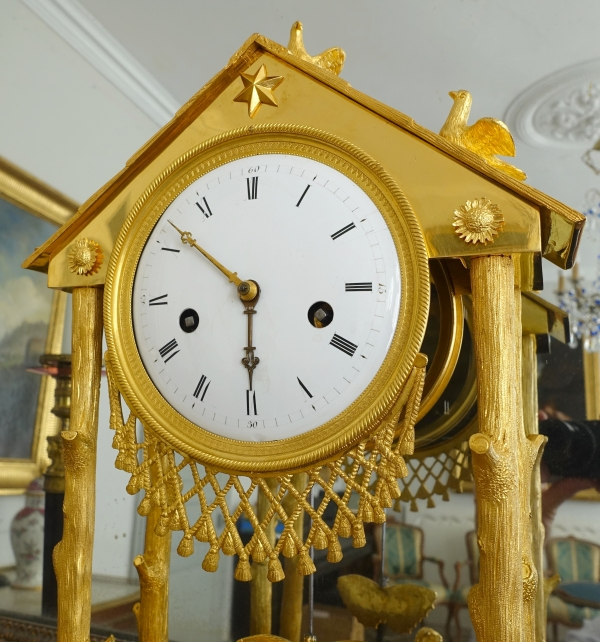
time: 5:51
